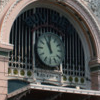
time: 10:58
